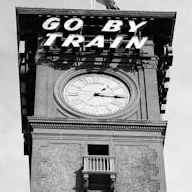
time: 1:16
